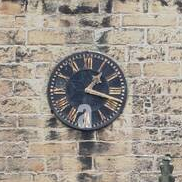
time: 1:18
